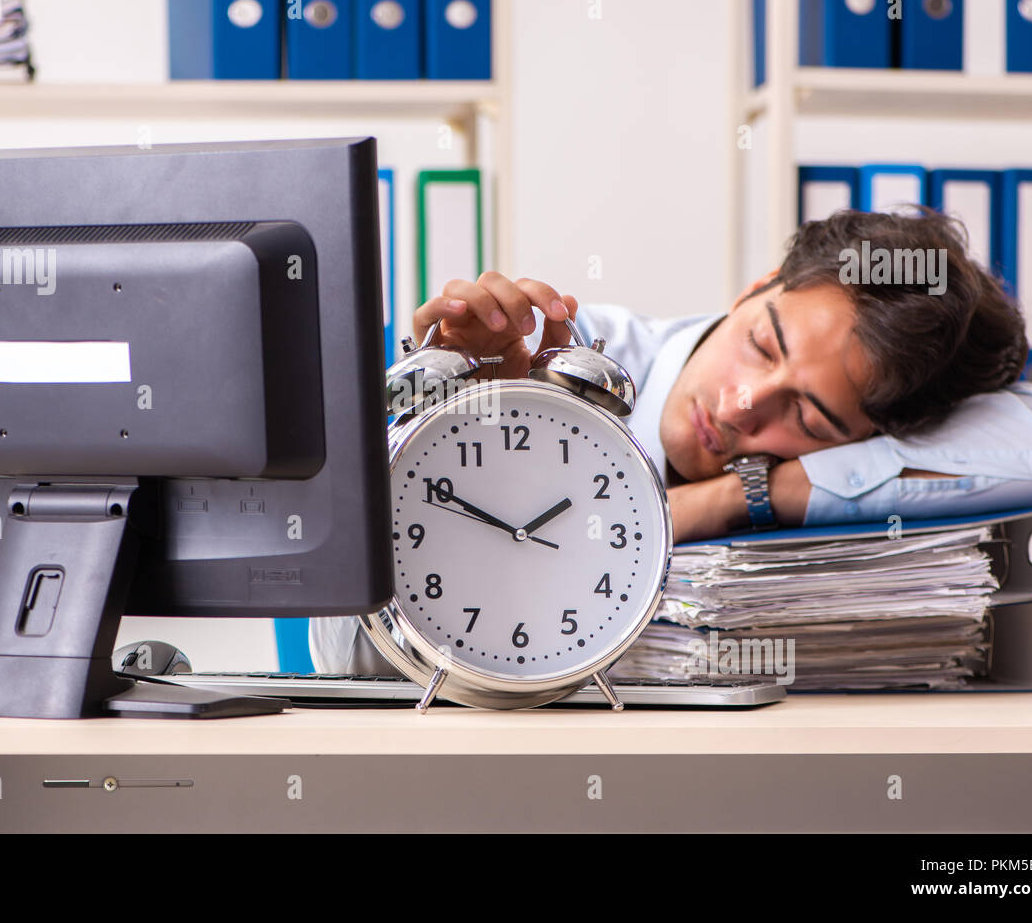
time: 1:49
